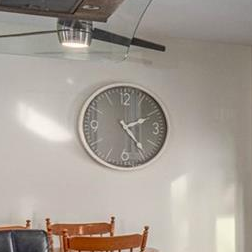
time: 2:23
